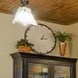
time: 1:13
